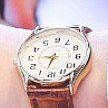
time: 8:32
